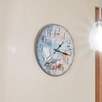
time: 1:16
